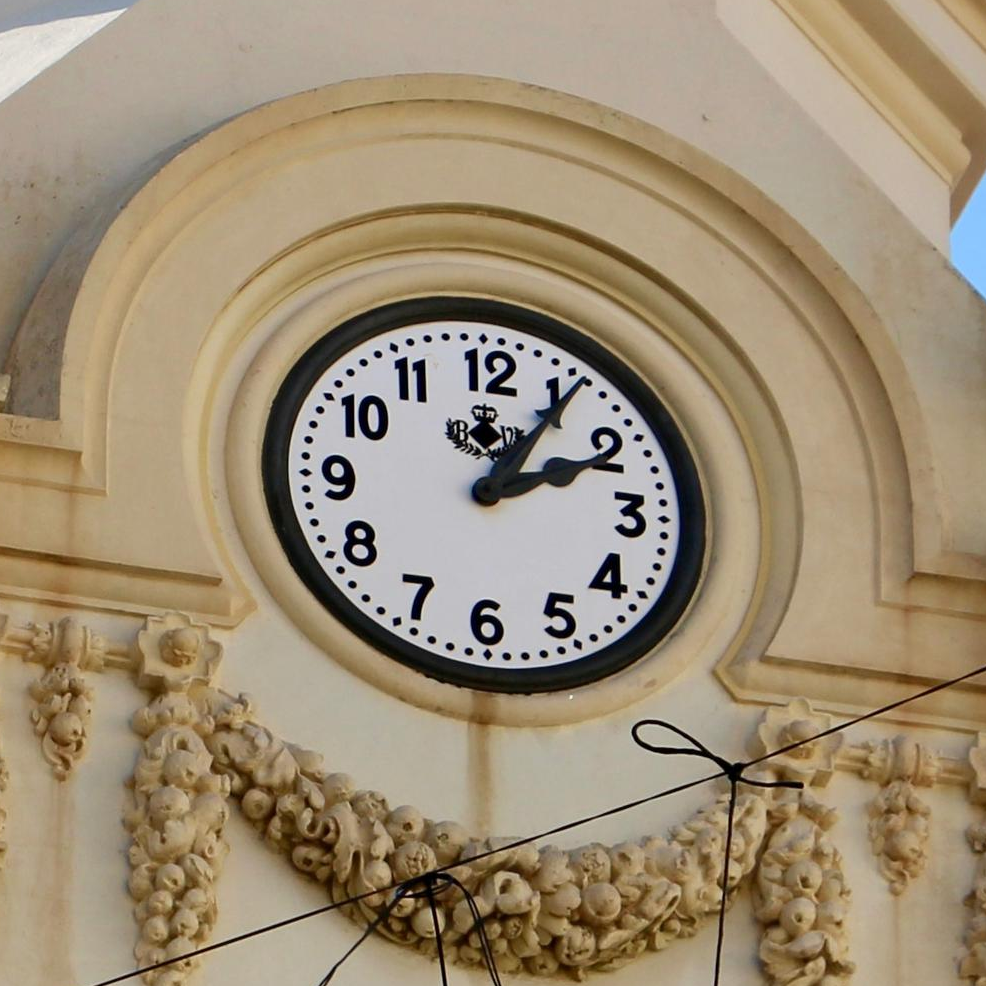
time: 2:05
